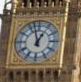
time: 12:57
